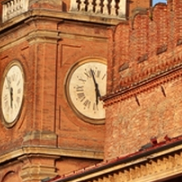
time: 5:57
